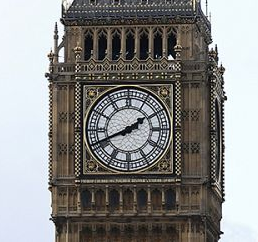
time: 1:41
